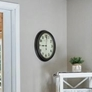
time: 9:01
